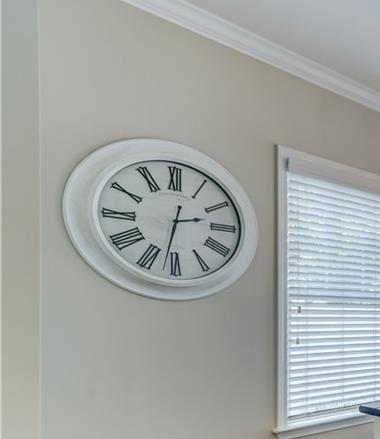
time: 2:32
